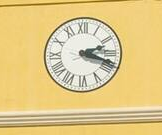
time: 2:18
